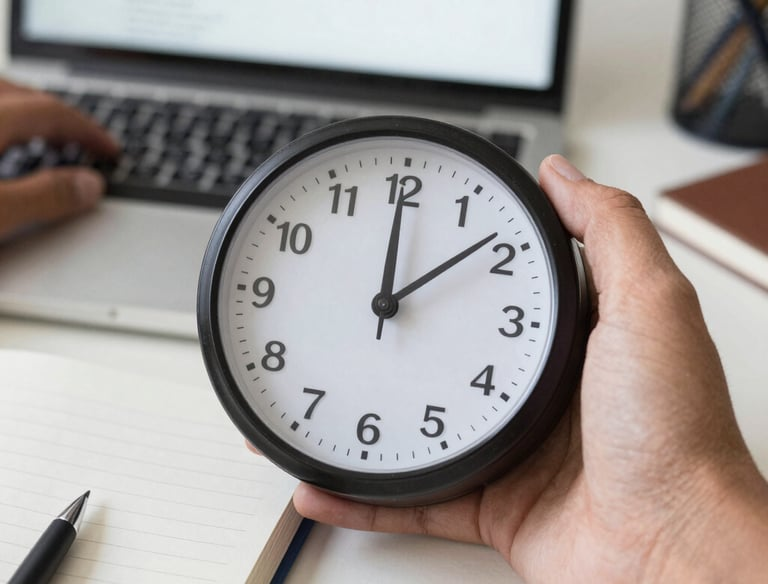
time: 12:08
